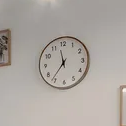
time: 11:36
